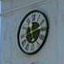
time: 12:13
